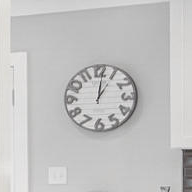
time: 1:01
